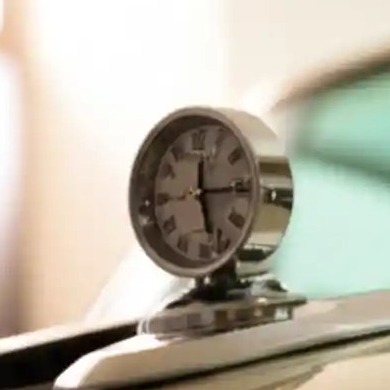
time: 12:14
